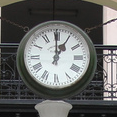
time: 12:59
